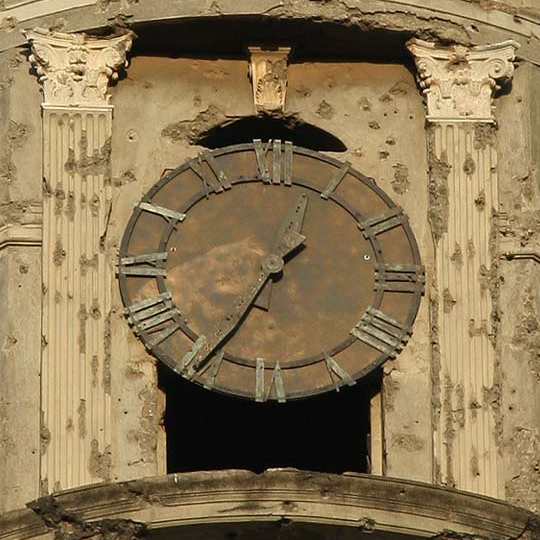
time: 1:34
